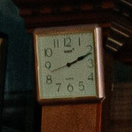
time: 2:11
